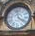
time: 3:57
